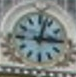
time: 3:02
